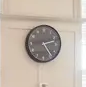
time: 2:24
